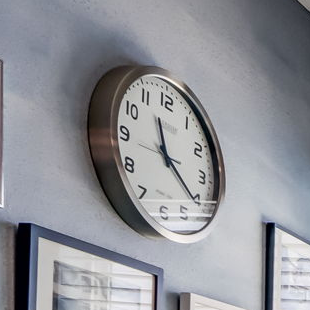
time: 11:21
